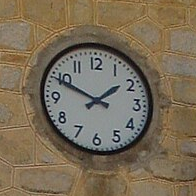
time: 1:49
